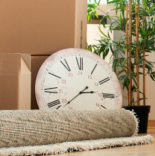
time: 2:38
